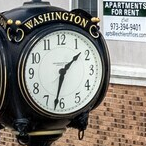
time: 1:32
